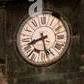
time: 8:27
